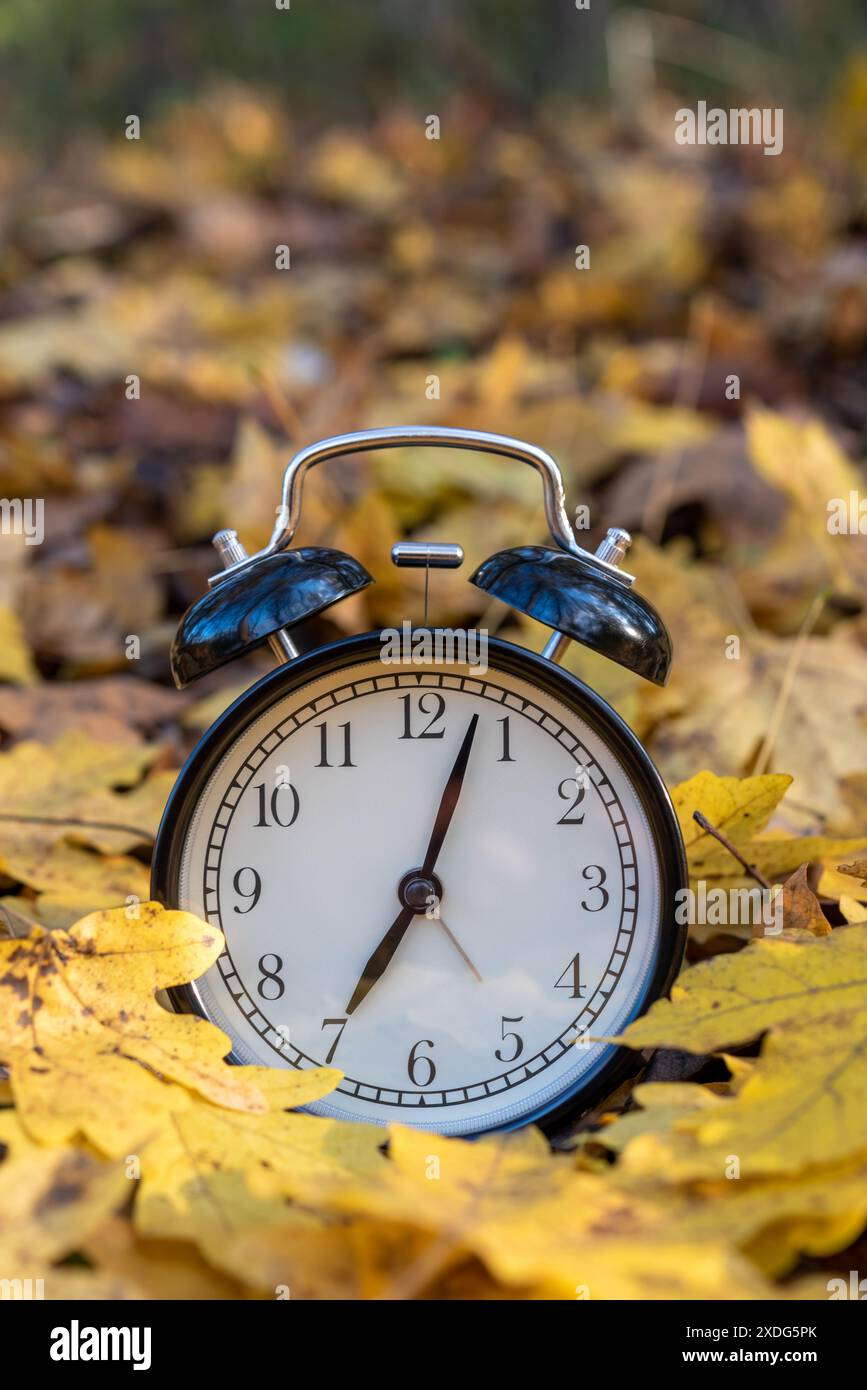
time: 7:03
